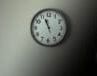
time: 10:56
